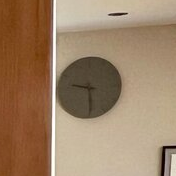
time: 9:29
